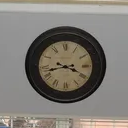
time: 3:42
